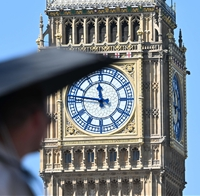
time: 11:46
